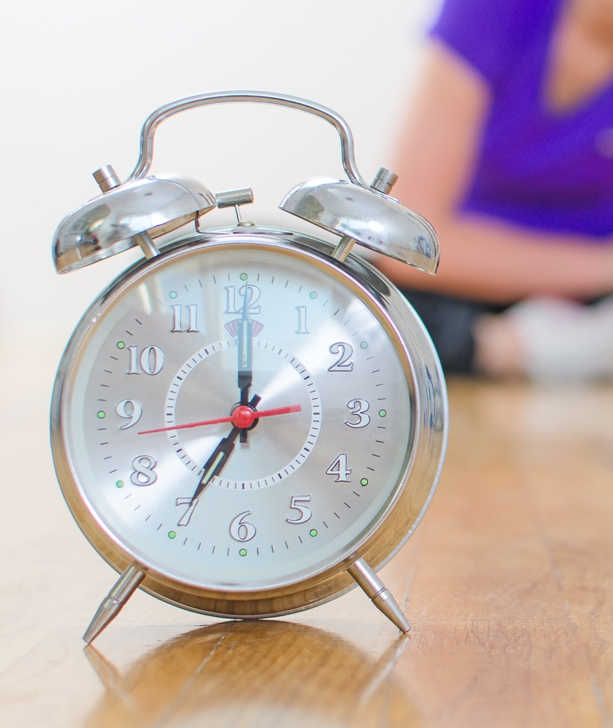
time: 7:00
